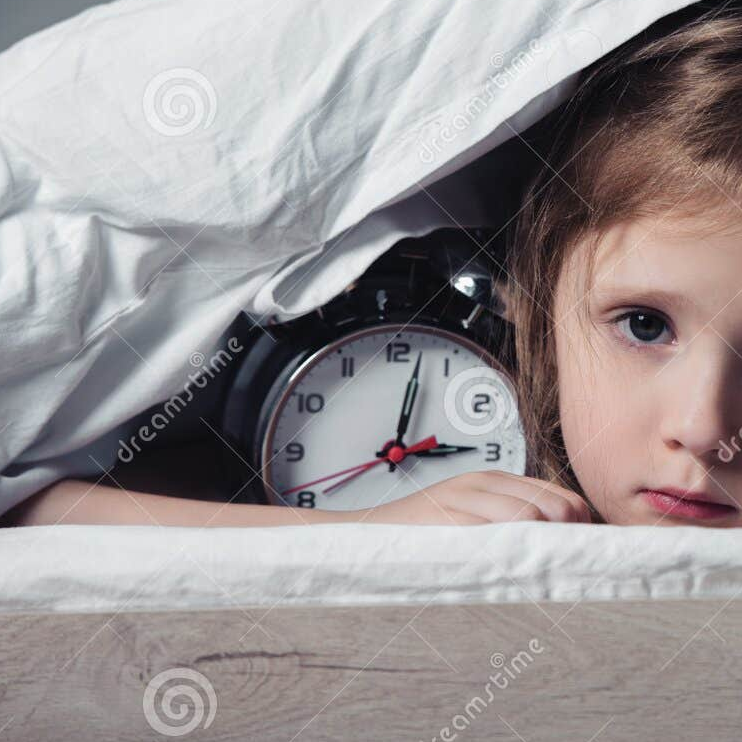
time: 3:02
